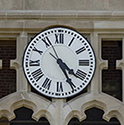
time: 4:25
